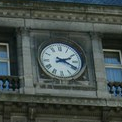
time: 2:18
